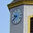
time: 9:39
